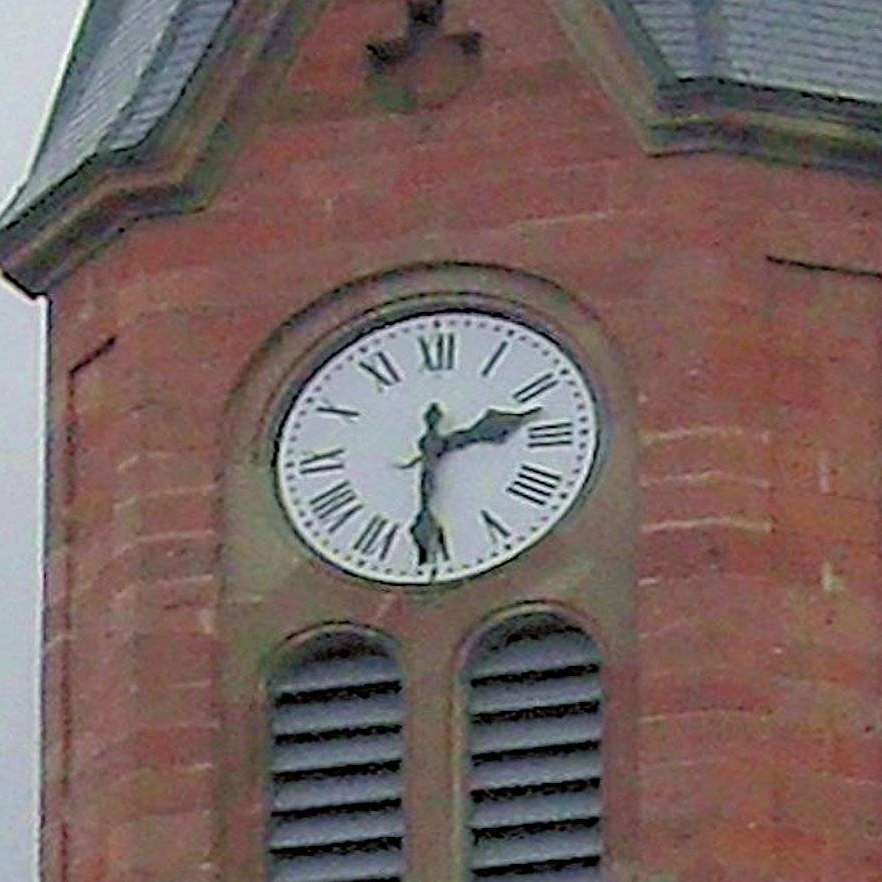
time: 2:30
